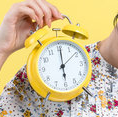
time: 6:00
